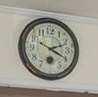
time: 2:19
